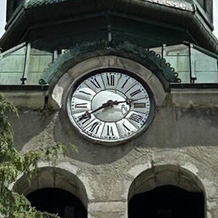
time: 2:40
